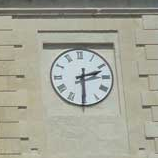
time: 2:30
